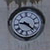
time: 9:22
